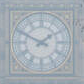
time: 1:49
